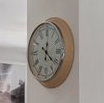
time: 12:21
